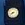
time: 8:38
